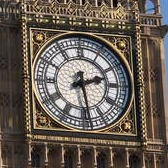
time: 2:28
